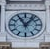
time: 11:06
